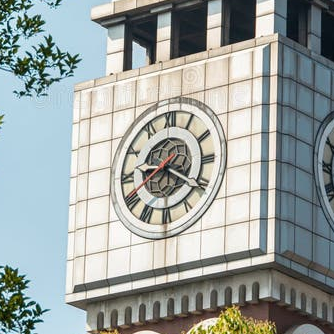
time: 9:20
